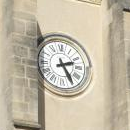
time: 2:25
